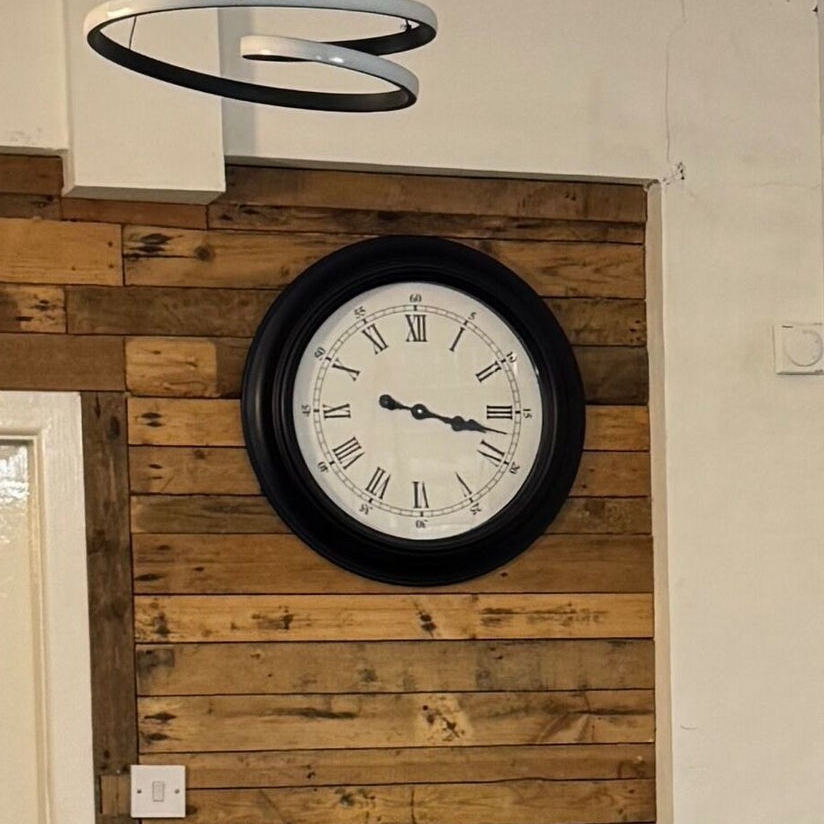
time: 3:17
